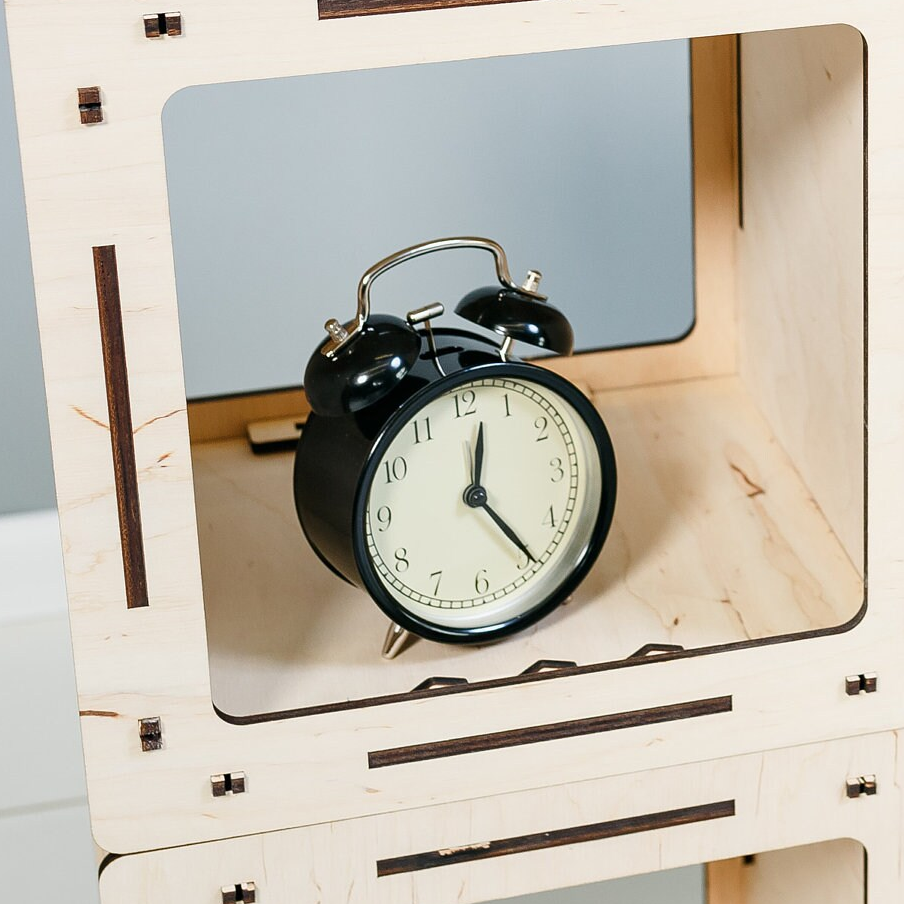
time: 12:24
